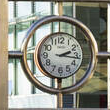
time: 2:16
